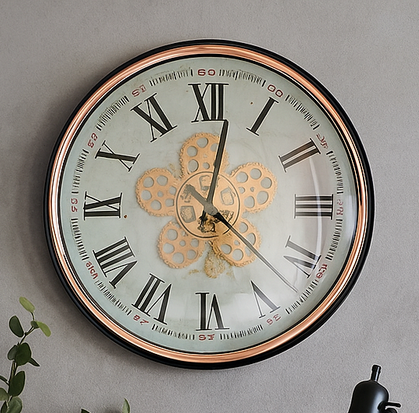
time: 4:01
